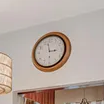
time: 2:58
